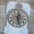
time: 12:27
